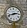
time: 2:42
